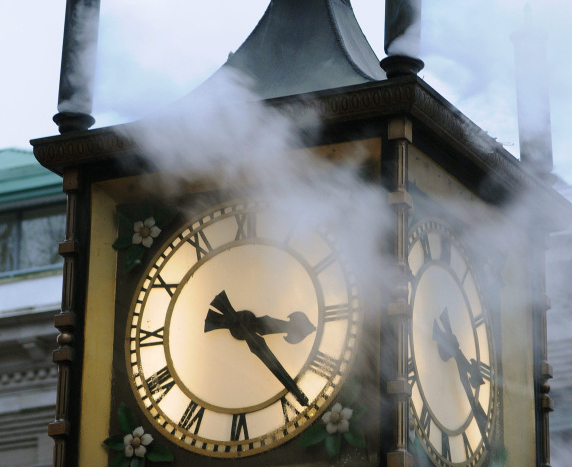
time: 3:23
